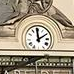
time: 1:59
